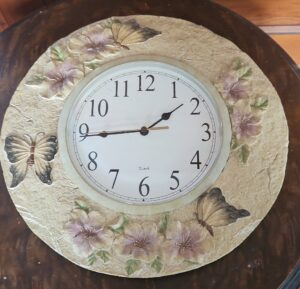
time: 1:44
